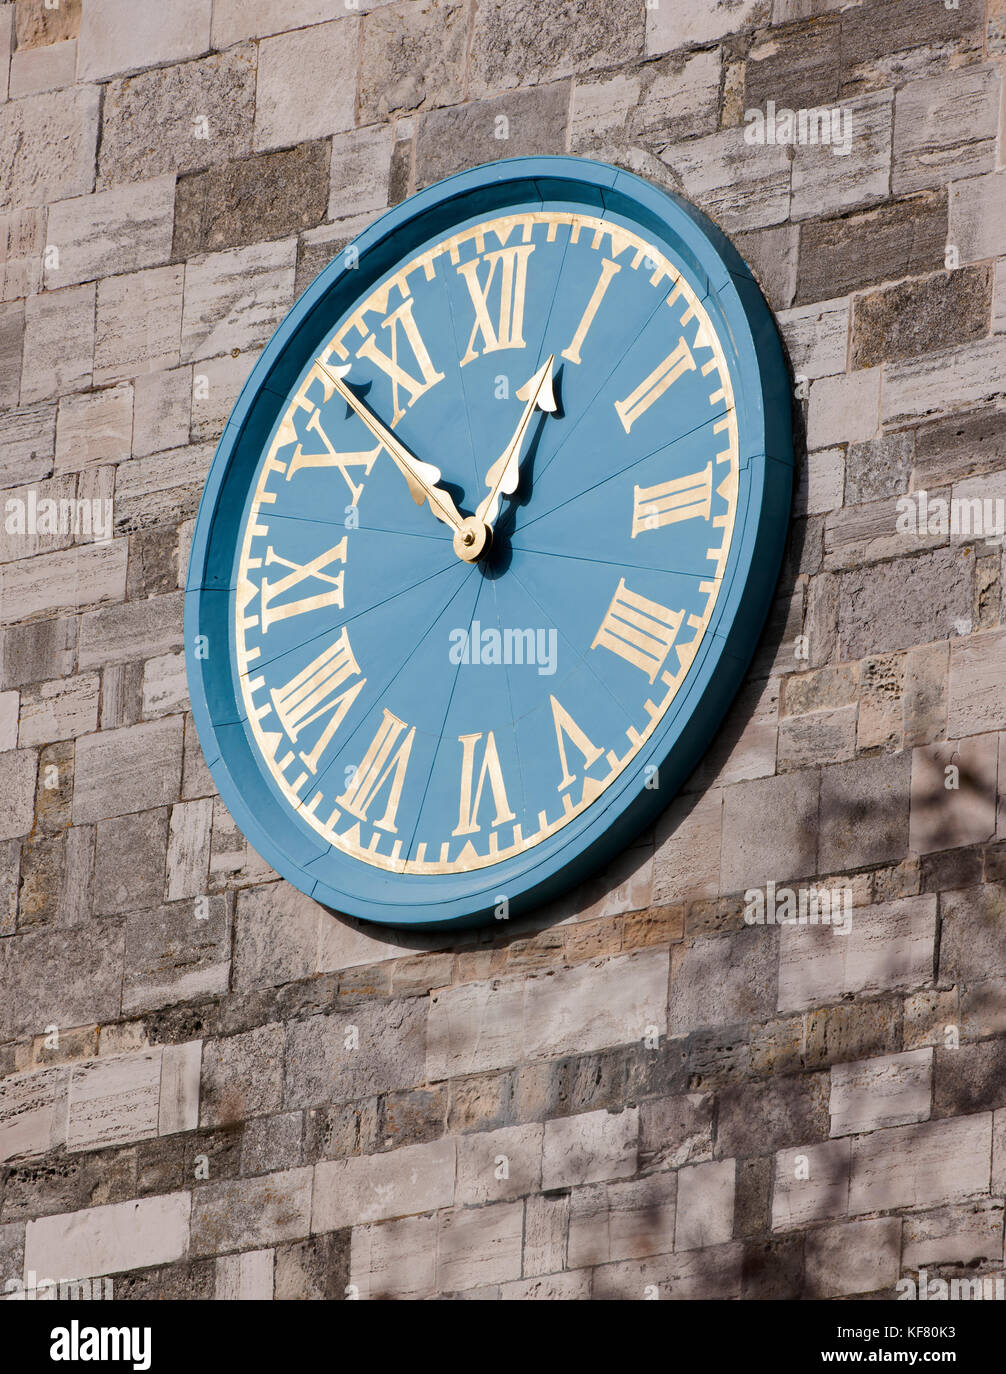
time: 12:52
